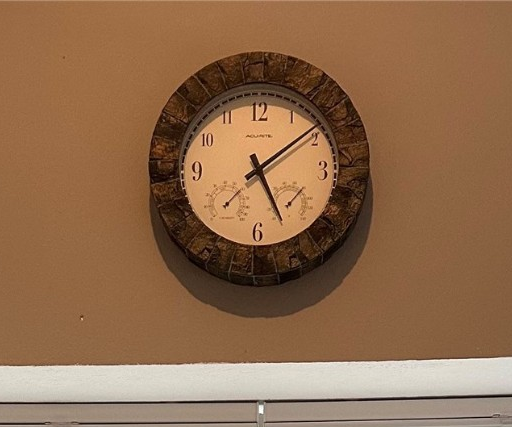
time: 5:08
